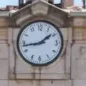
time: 1:43
